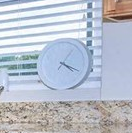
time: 4:20
